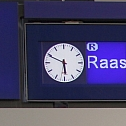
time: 5:49
